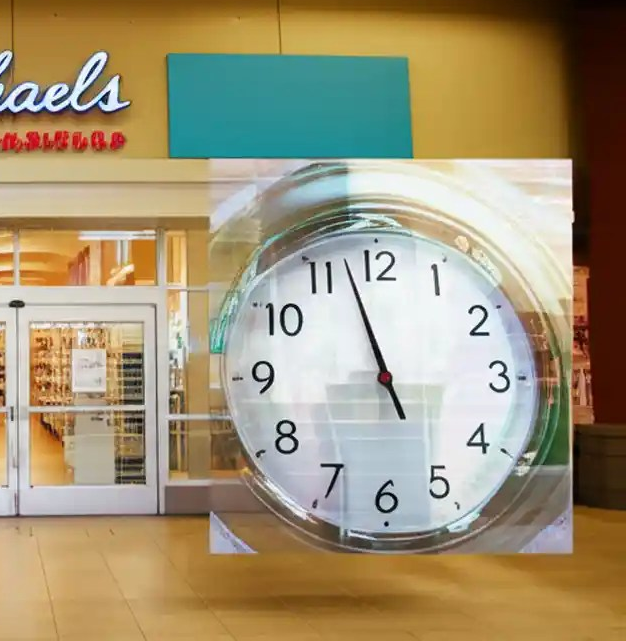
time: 4:57
